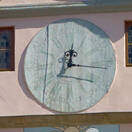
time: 12:15
